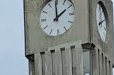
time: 1:59
